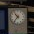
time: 10:36
